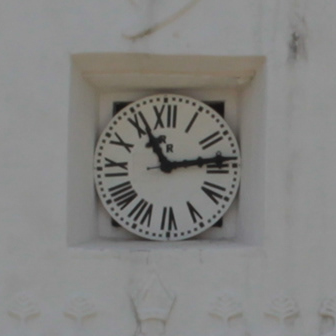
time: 11:13
